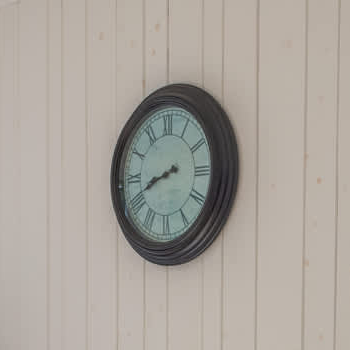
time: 8:41
